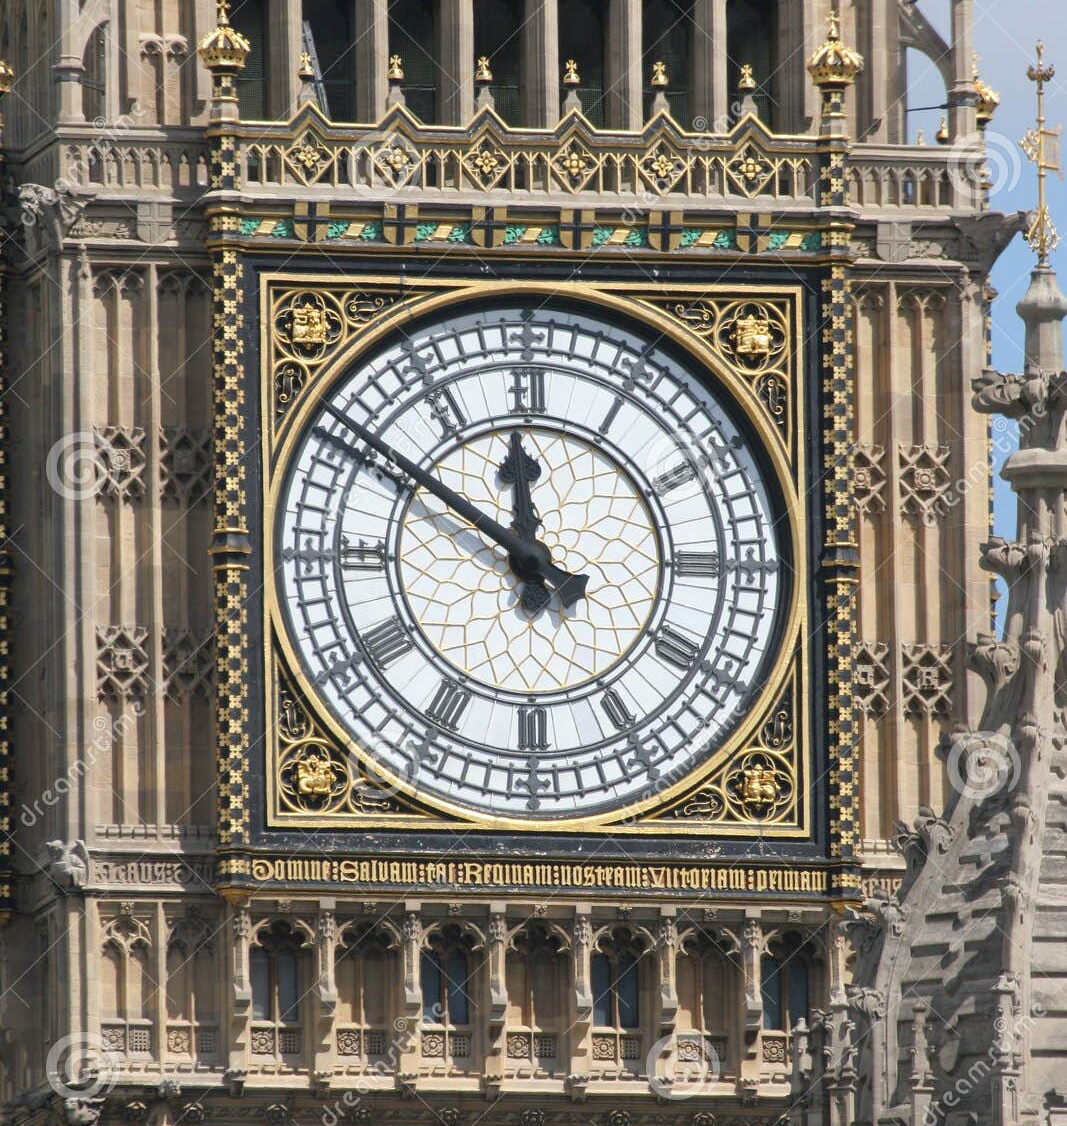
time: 11:50
